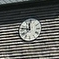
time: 11:46
